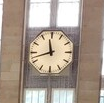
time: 11:42
